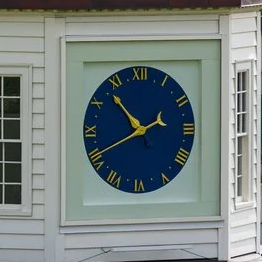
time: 10:40
